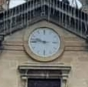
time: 9:45
